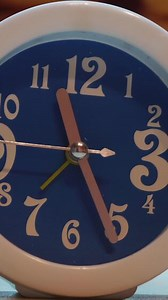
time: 7:25
